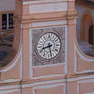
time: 8:27
